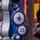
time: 9:01
